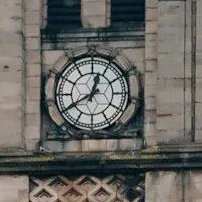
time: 12:40
